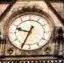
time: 9:34
